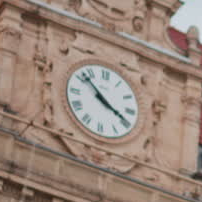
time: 3:52
